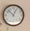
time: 12:52
